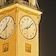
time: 8:07
